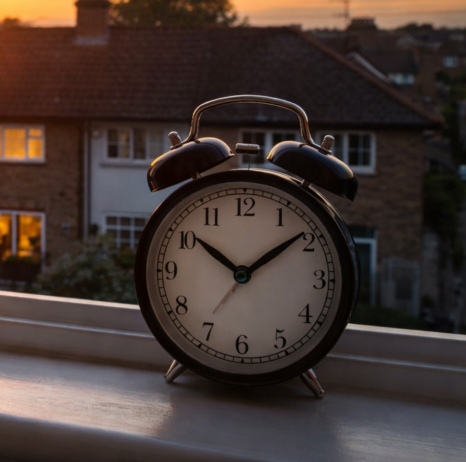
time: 10:08
